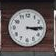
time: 3:14
